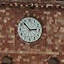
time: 2:52
